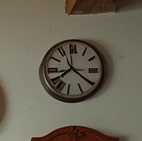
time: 7:20
